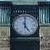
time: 5:00
